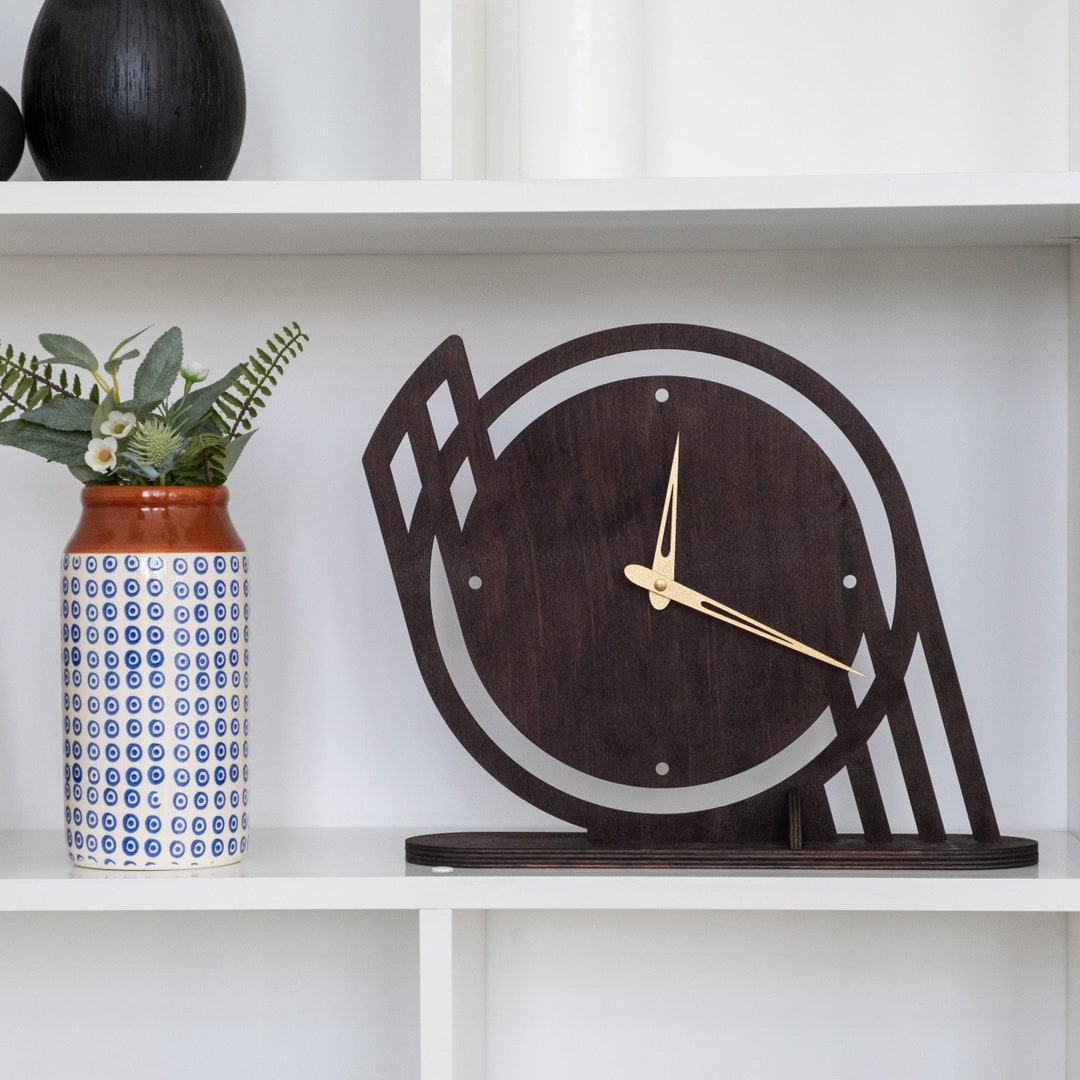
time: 12:19
